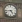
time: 4:44
